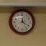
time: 12:20
